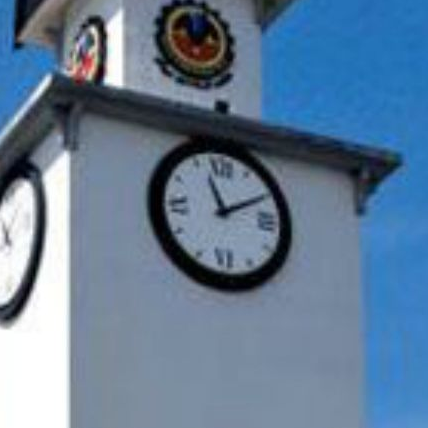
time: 11:10
